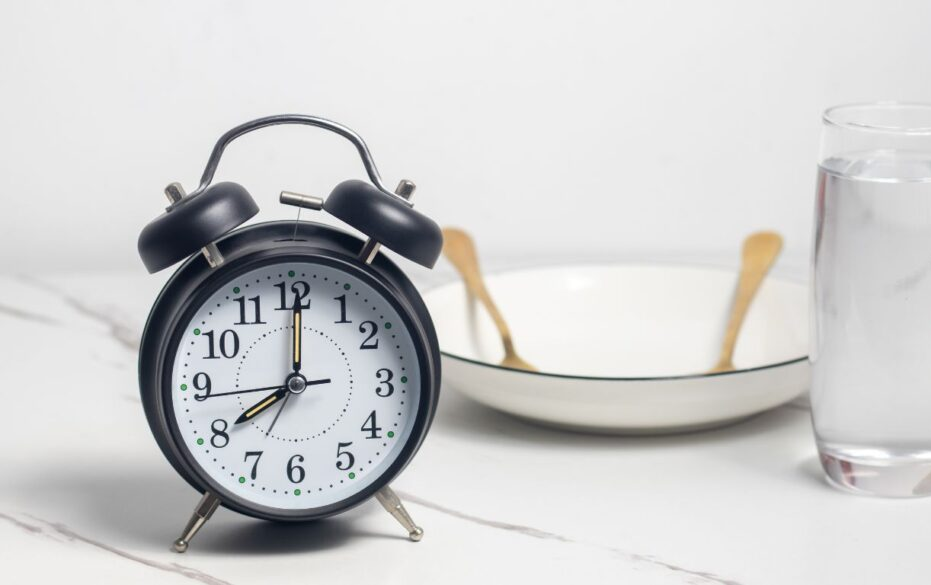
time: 8:00
